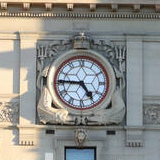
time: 4:45
